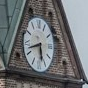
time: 5:42
